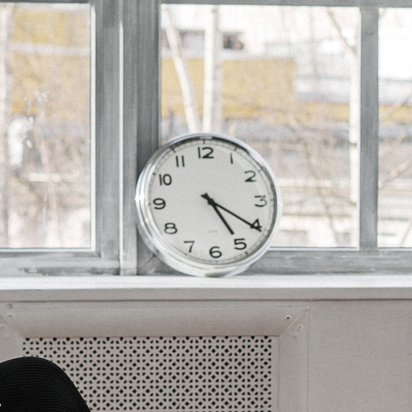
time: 5:20
